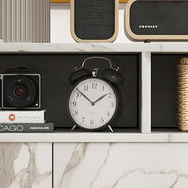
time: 1:51
